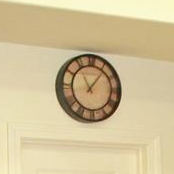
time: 11:06
